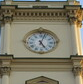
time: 5:03
